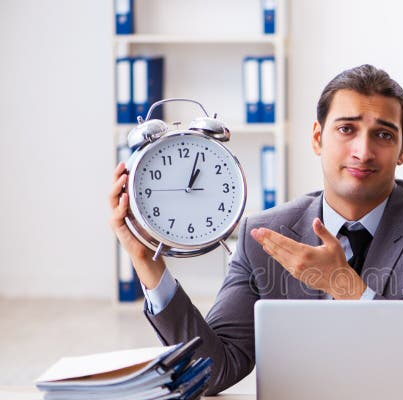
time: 1:03
